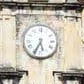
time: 5:34
